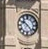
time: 10:22
